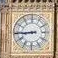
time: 8:44
